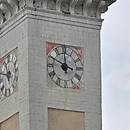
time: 11:49
